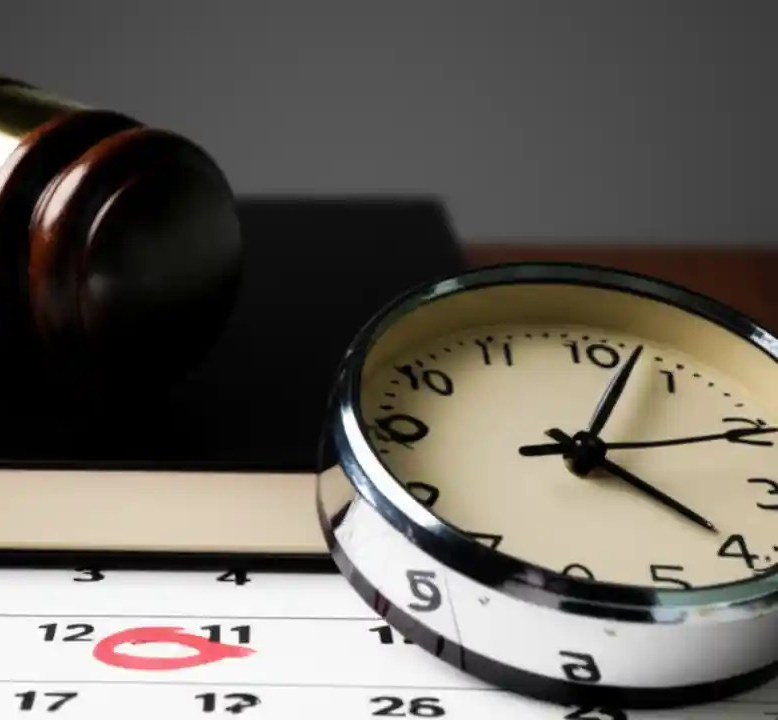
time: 4:03
